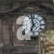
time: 6:58
